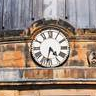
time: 4:31
